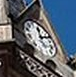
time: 12:11
